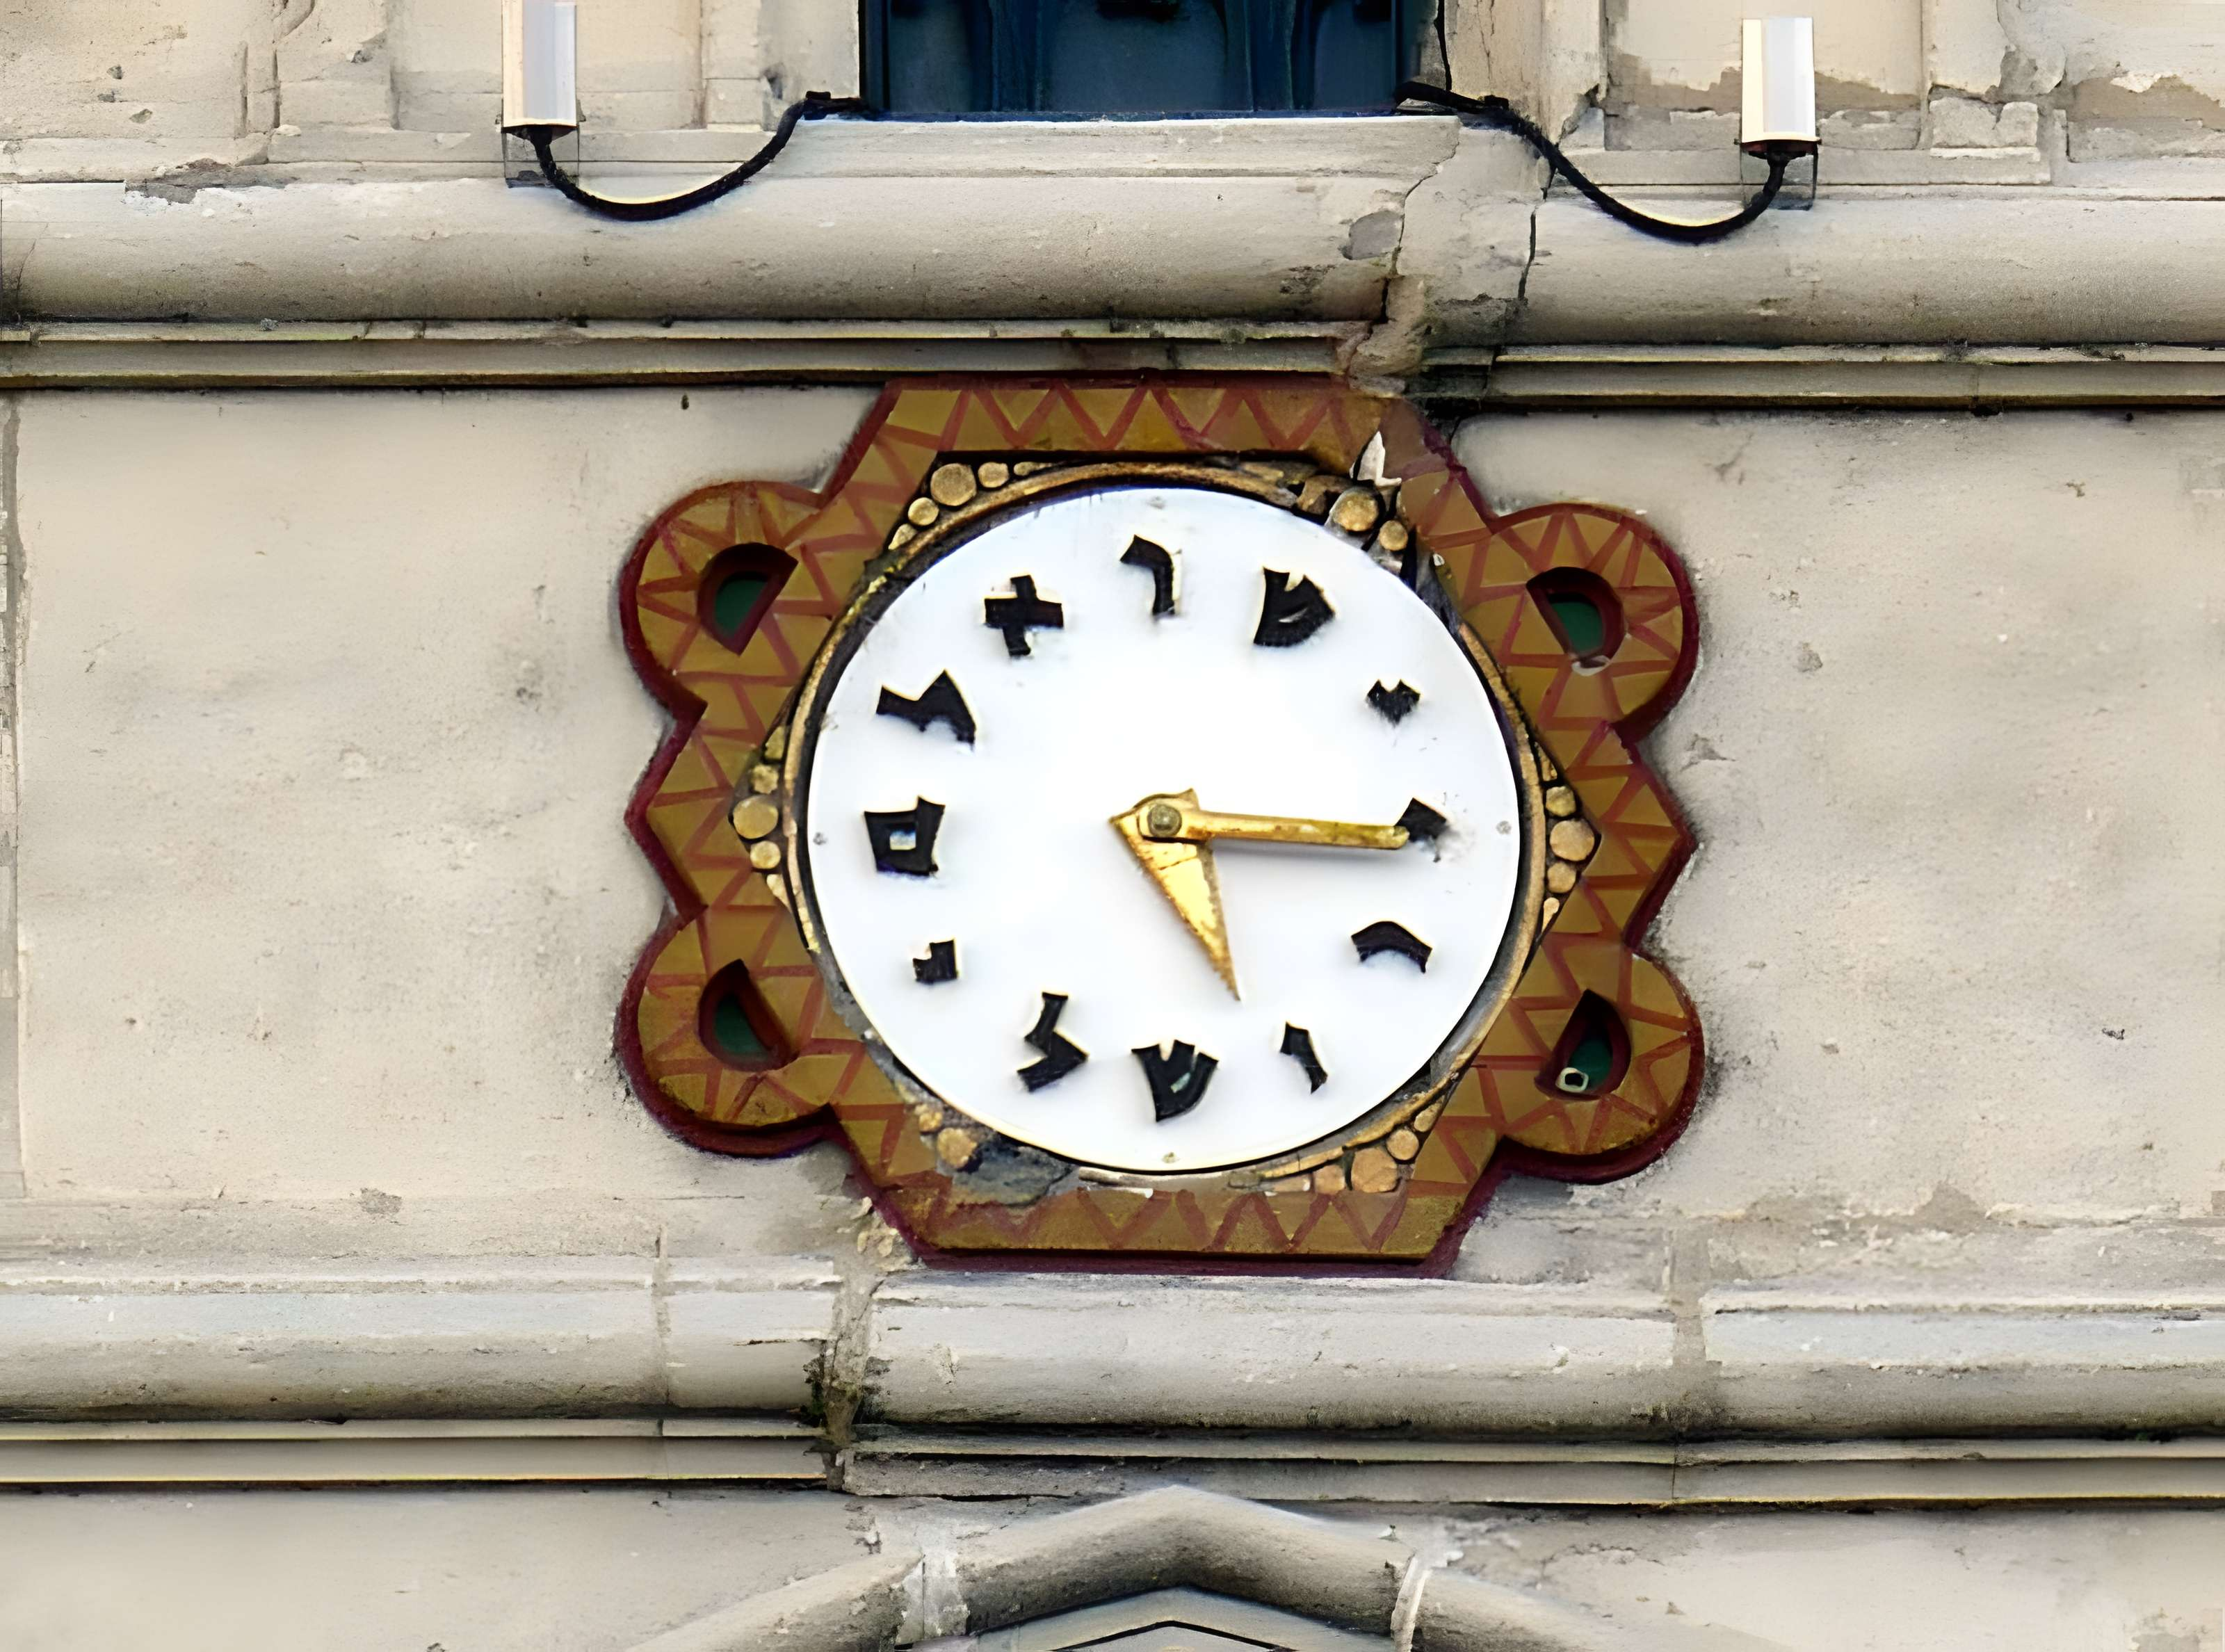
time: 3:15
